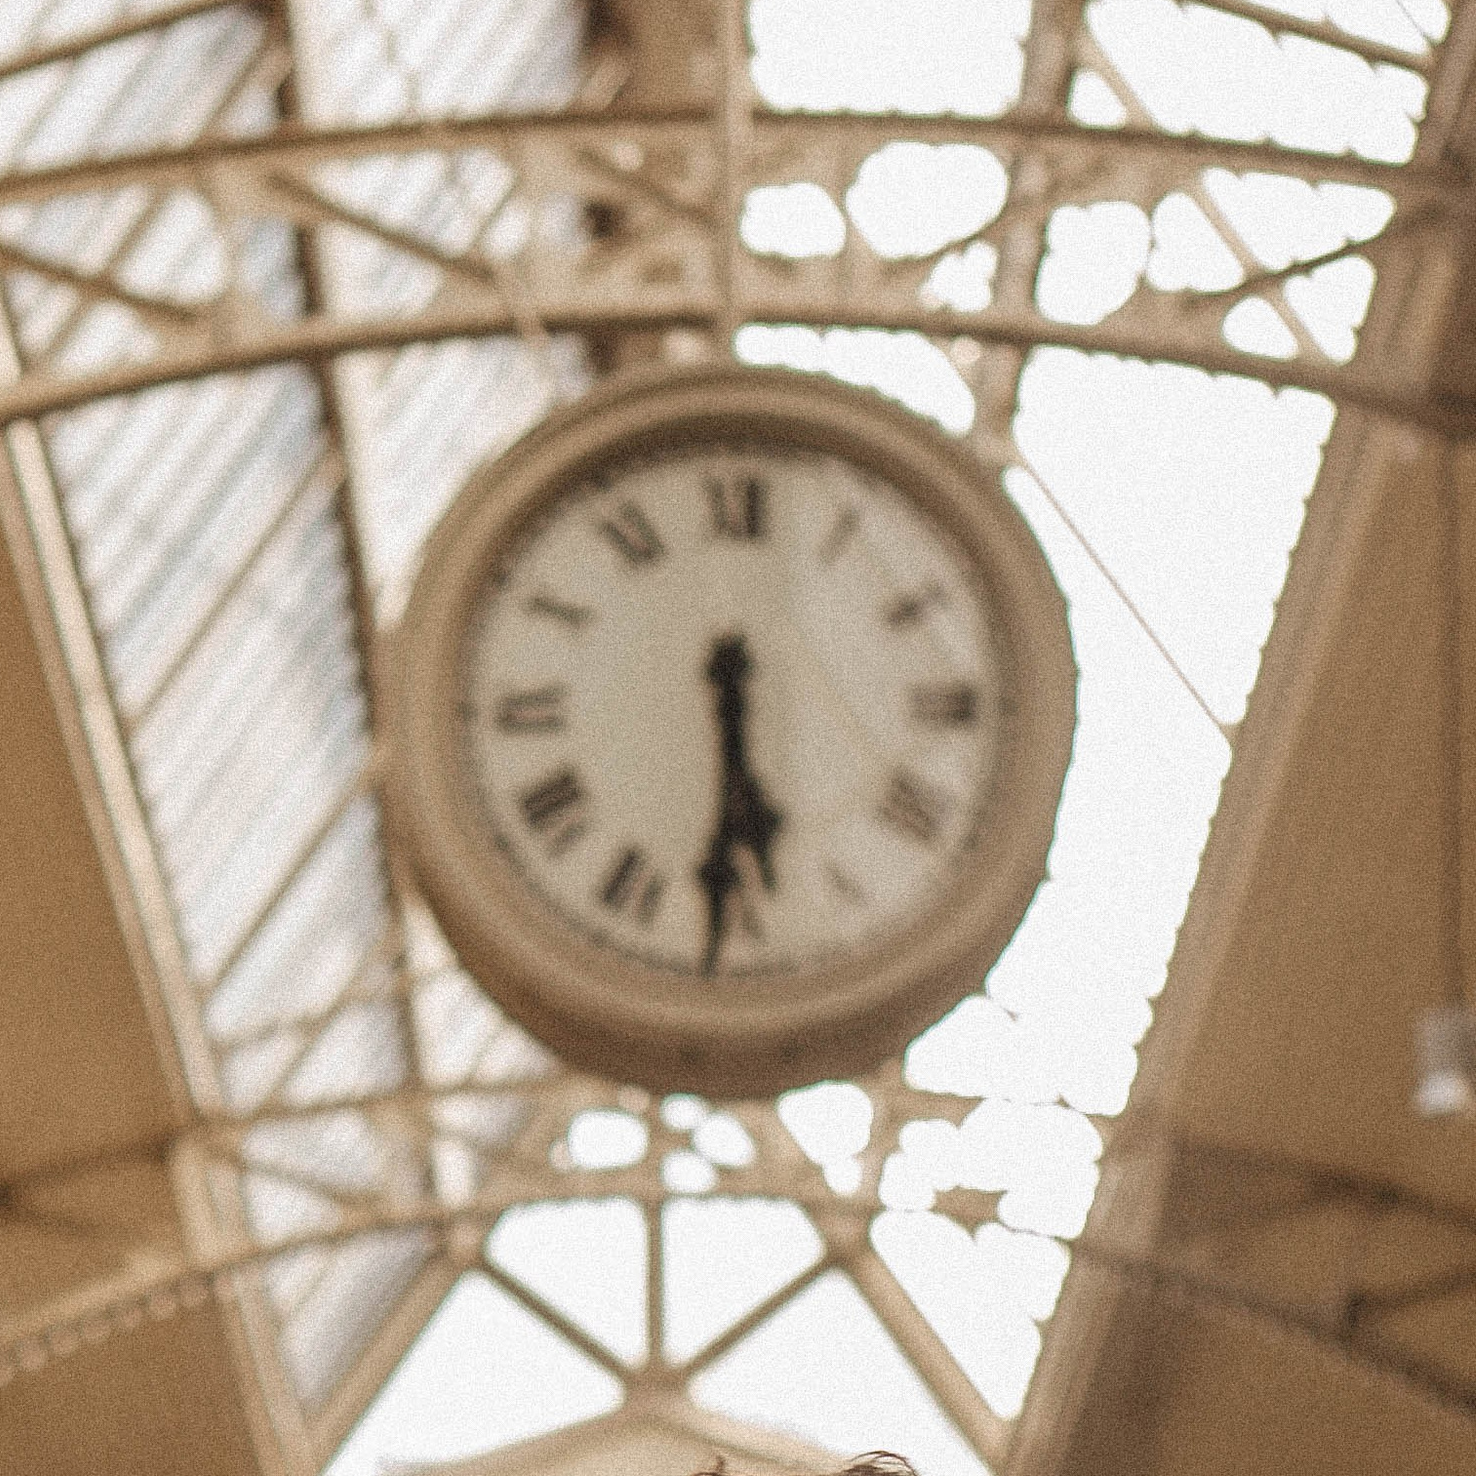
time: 5:30
